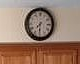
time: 7:30
